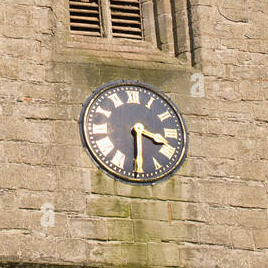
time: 3:30
